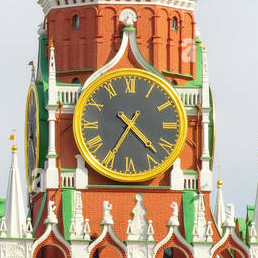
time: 4:35
